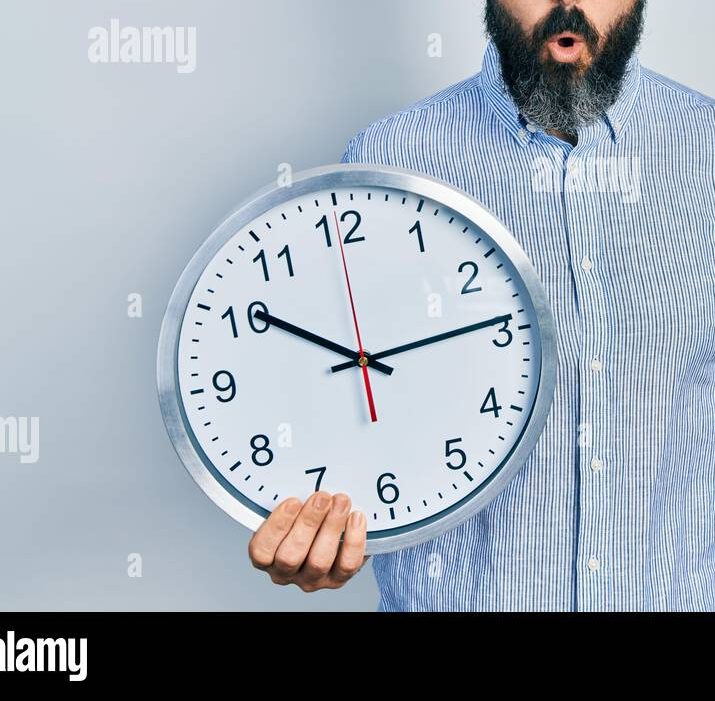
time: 10:14
